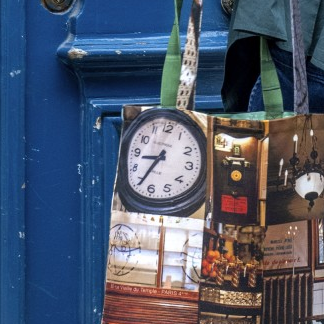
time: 8:34
